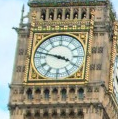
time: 3:47
